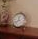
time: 11:37
